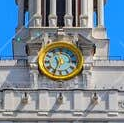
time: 11:33
